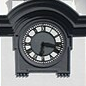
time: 6:16
